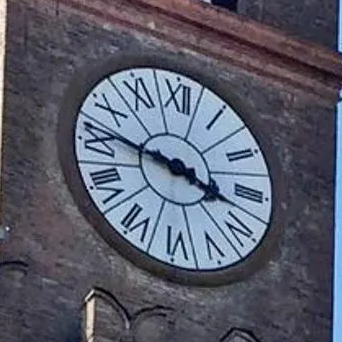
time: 3:46
